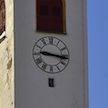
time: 9:16
